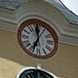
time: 7:00
